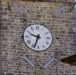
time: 9:33
